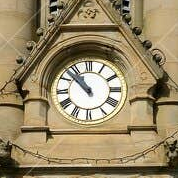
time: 10:52
